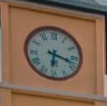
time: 6:17
